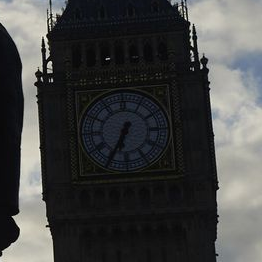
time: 6:34
